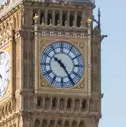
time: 10:24
